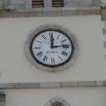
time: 12:13
